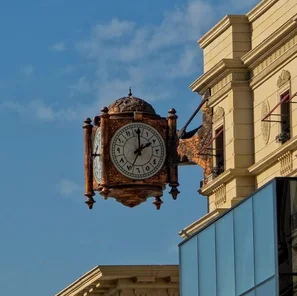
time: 2:01
